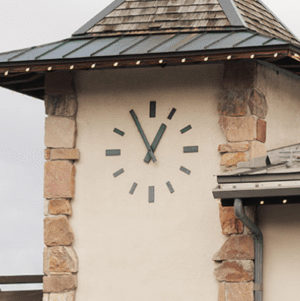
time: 12:55
